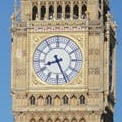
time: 8:26
